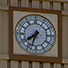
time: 7:32
